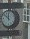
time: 11:51
